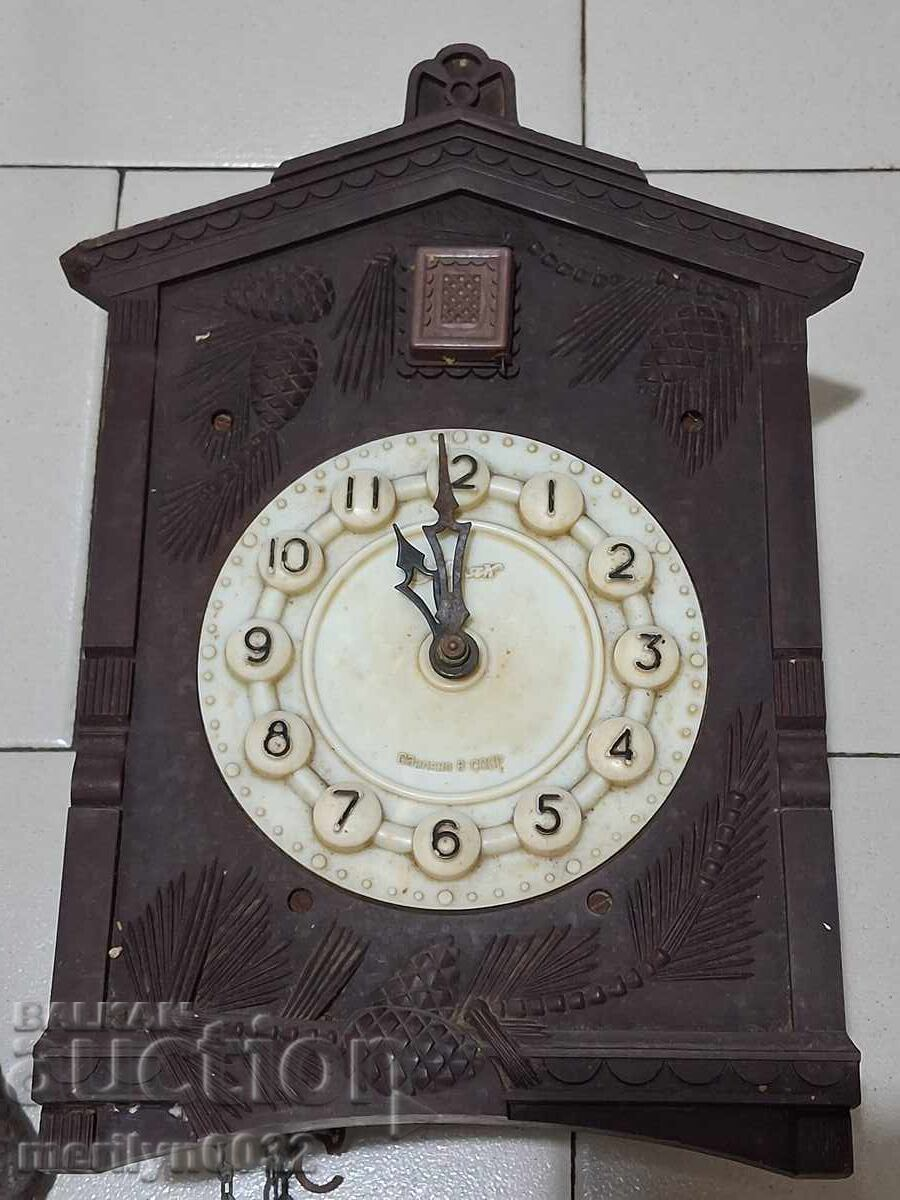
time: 10:59
